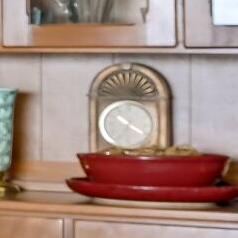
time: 10:20
